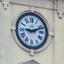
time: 9:11
